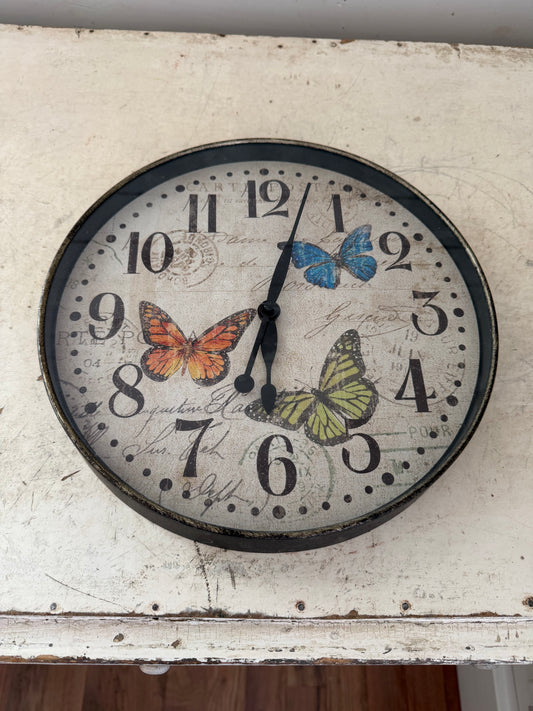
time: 6:02
